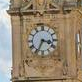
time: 3:34
